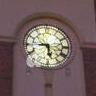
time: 5:44
